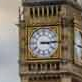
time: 3:14
